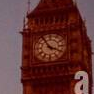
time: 3:54
